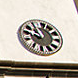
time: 10:47
